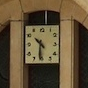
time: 10:31
